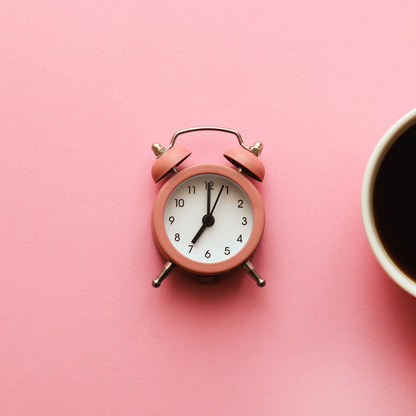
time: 7:00
